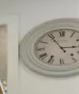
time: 2:54
